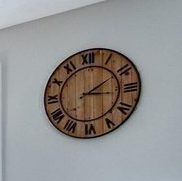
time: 3:09
